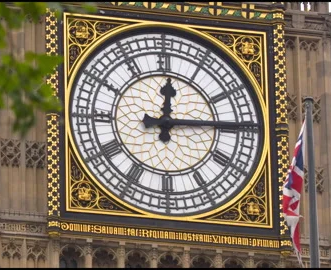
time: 12:14
